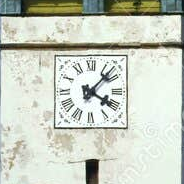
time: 4:07
